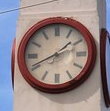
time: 1:41
